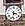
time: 3:32
